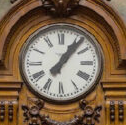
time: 1:06
